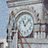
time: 11:07
